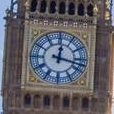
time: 12:17
